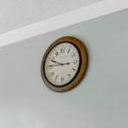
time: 9:45
